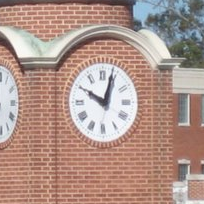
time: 10:03
